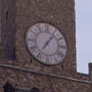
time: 7:06
